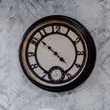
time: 10:22
